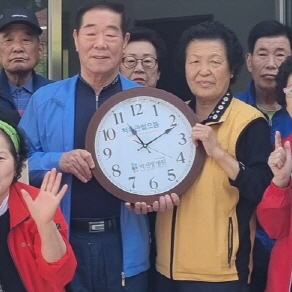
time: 11:11
